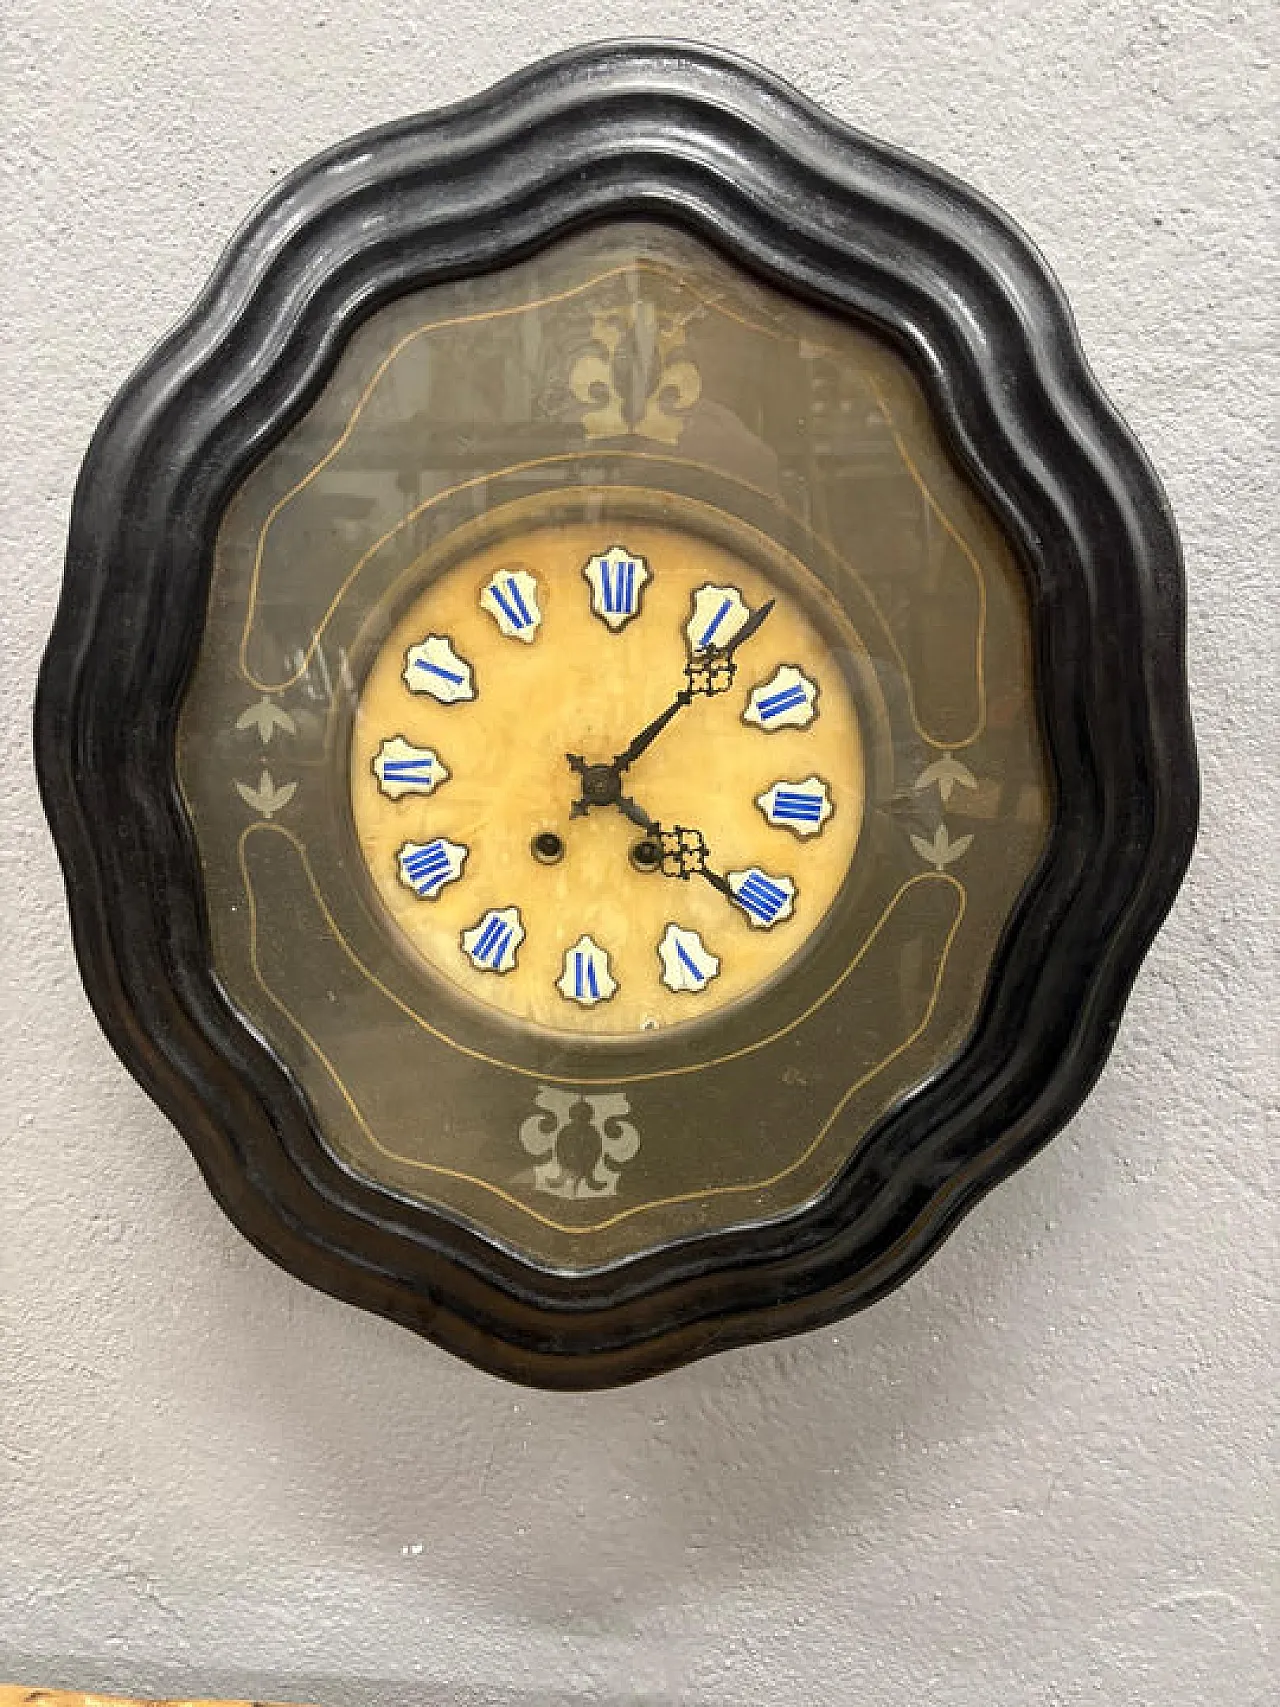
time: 4:06
